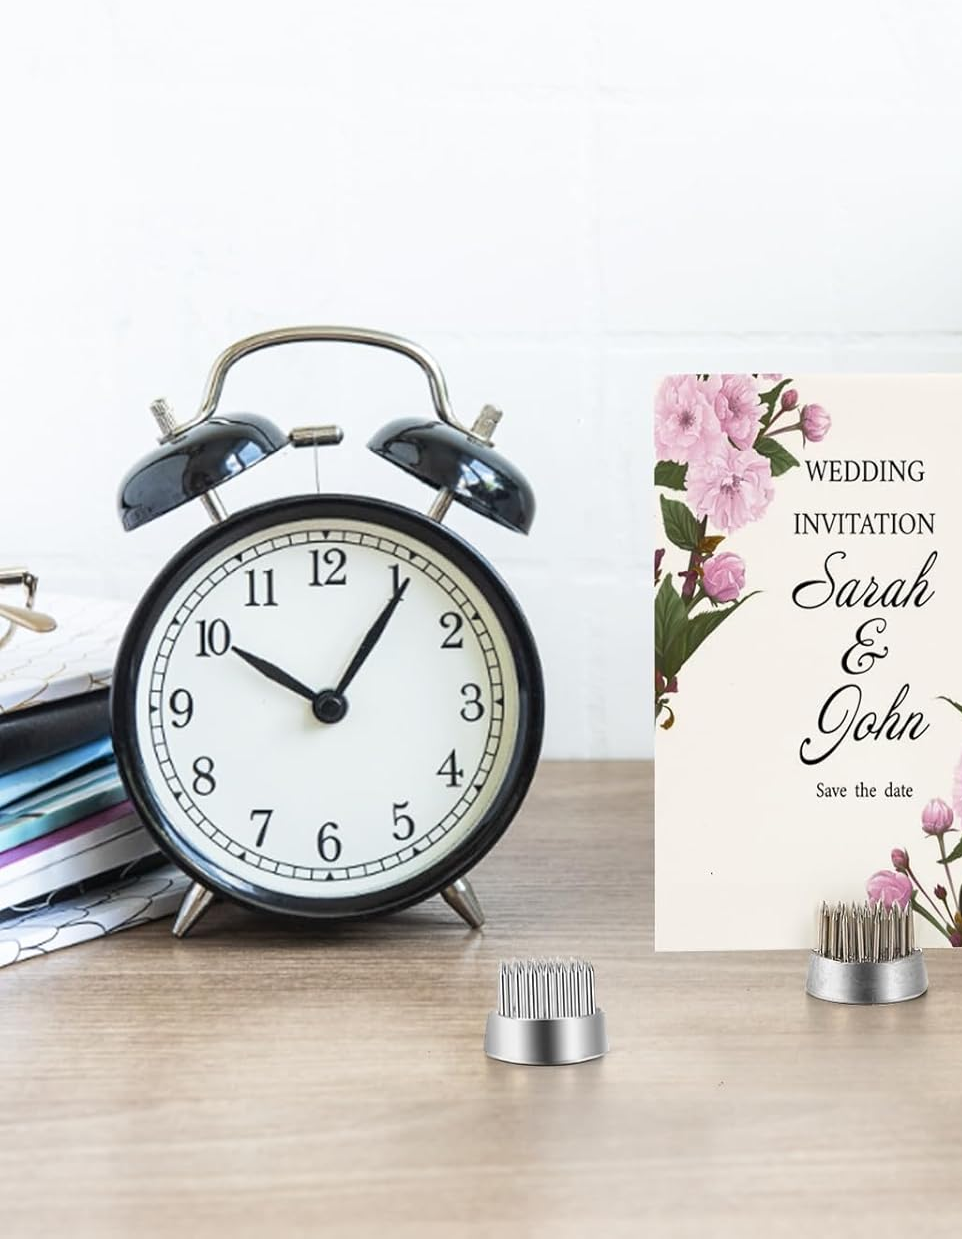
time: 10:05
